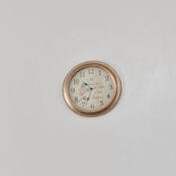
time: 10:33
